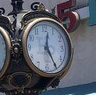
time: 12:25
